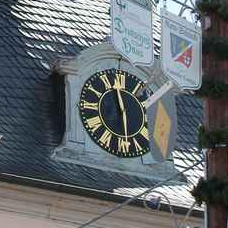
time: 11:28
